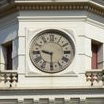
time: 9:29
